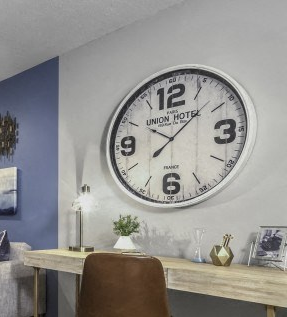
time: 10:07
